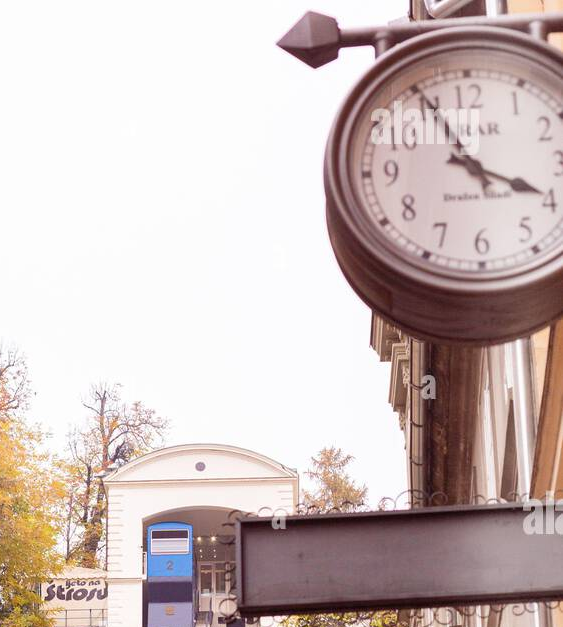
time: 3:55
